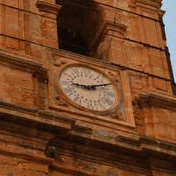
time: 9:10
